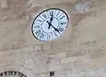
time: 12:22
